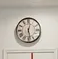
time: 12:28
